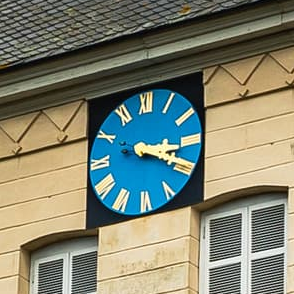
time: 3:19
